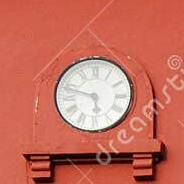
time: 5:47
